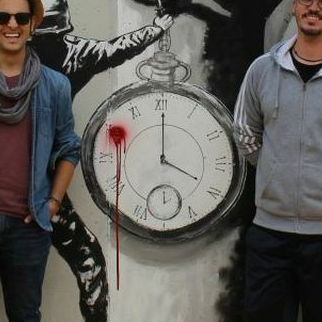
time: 4:00
